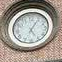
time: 5:05
